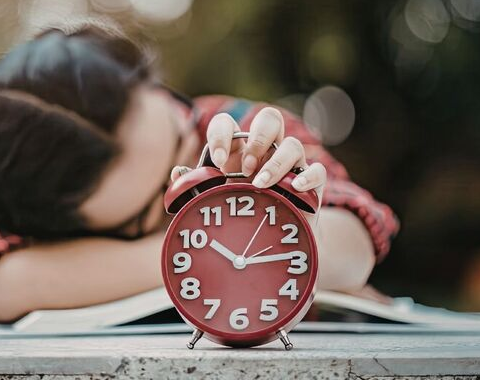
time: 10:13
